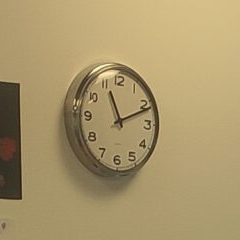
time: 11:11
